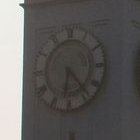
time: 6:23
